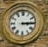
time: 3:14
